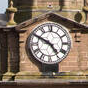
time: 4:49
